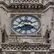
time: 3:40
